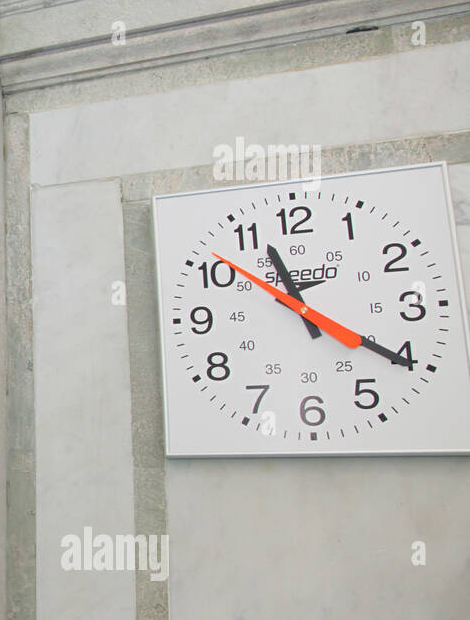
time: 11:20
